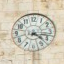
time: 4:16
